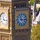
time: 11:14
